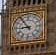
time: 8:53
